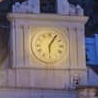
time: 6:05
